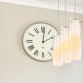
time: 2:00
